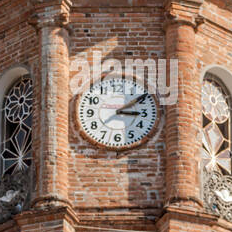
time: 3:09
